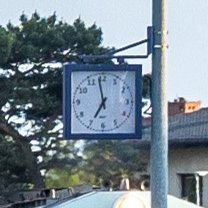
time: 6:58
